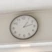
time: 1:12
